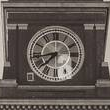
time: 7:43
